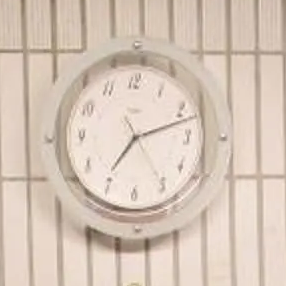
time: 7:12
